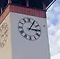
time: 3:05
